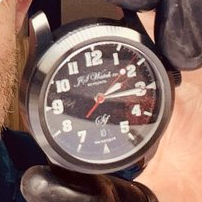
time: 2:15
